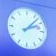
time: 2:07
